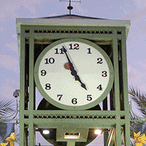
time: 4:56
